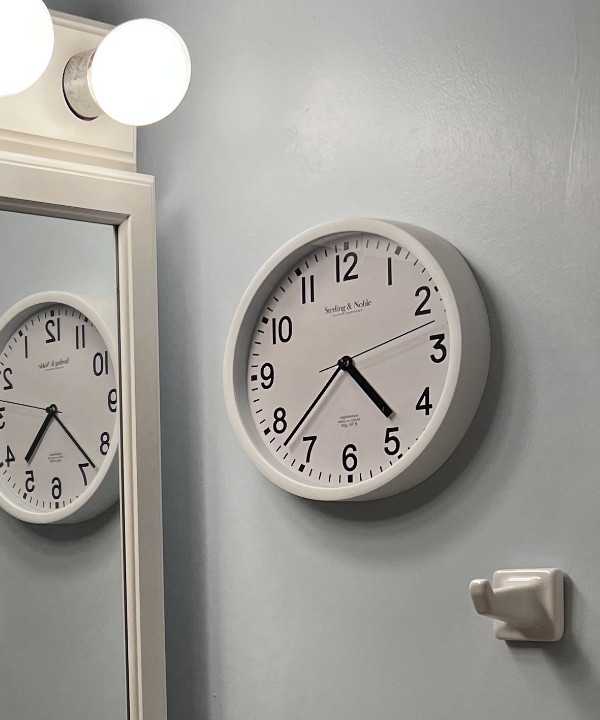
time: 4:37
